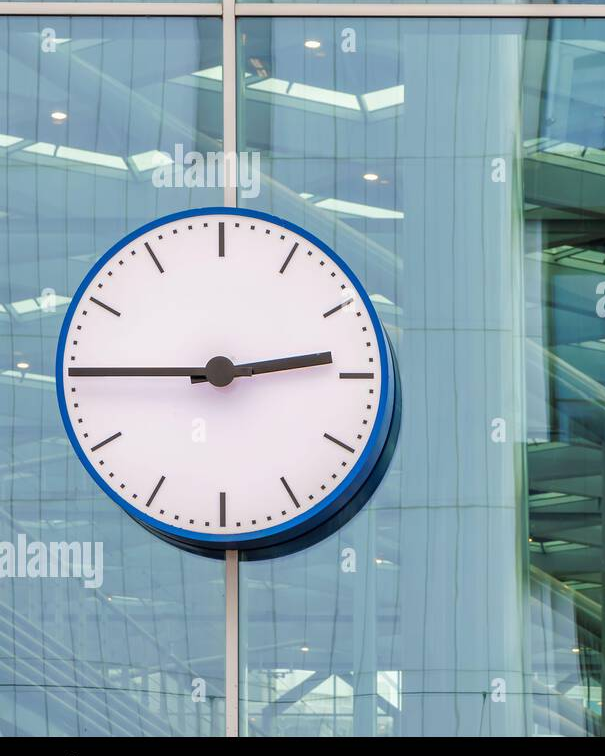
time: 2:45
